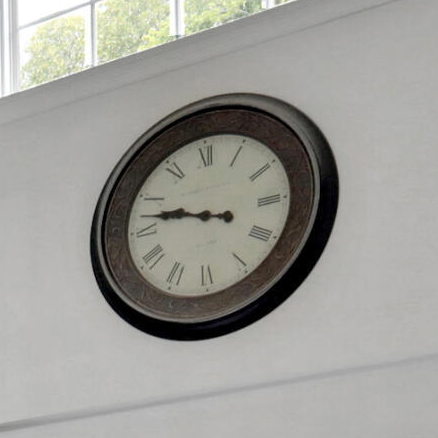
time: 9:47
